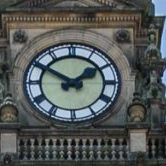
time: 1:50
